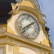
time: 1:37
